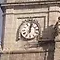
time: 12:02
